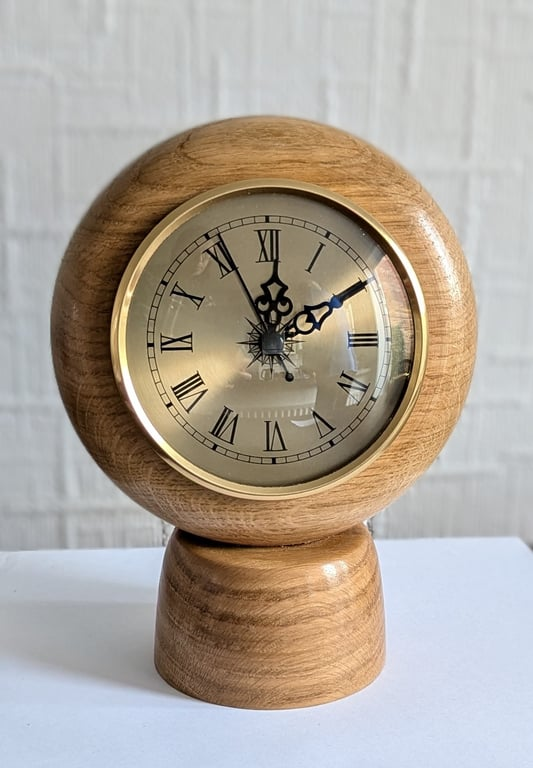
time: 11:55
